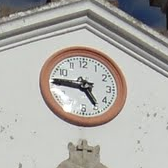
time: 4:45
